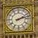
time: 2:12
